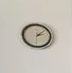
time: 2:07
